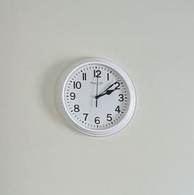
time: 2:08
